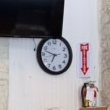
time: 6:47
